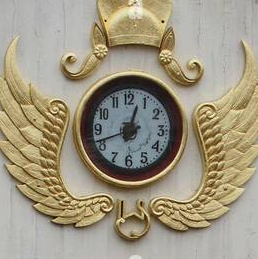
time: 12:41
